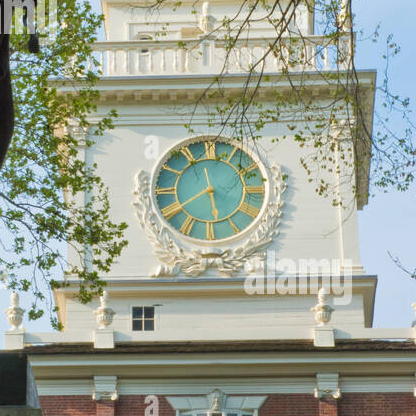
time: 5:40
